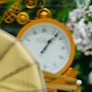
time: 1:07
